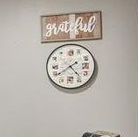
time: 4:39
